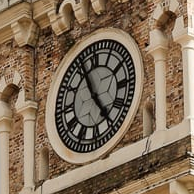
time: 4:55
